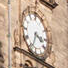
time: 3:33
